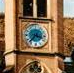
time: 3:36
